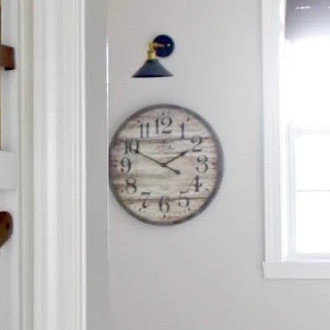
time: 1:49
